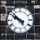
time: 9:51
